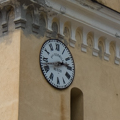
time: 2:42
